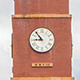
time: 8:53
